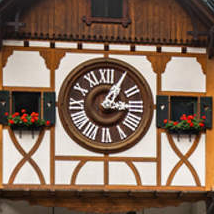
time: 3:05
